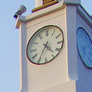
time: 4:35
